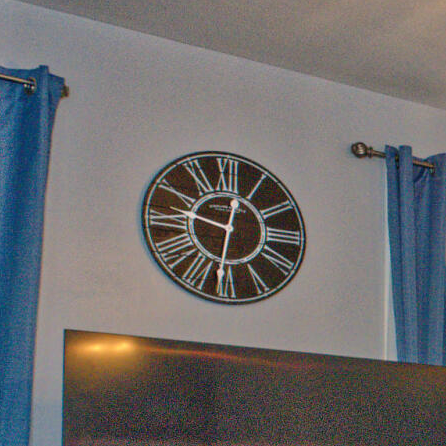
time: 12:31
